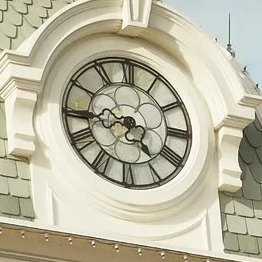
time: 4:44
